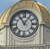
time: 11:05
